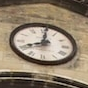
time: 8:01
